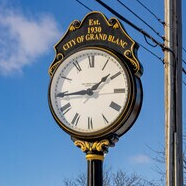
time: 1:44
